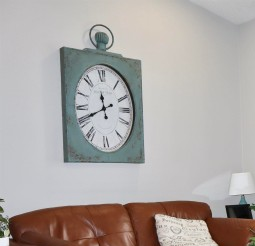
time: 11:40
